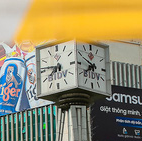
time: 7:45
